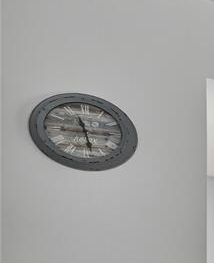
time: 11:28
